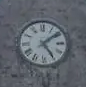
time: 5:08
